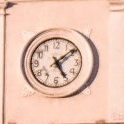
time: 5:08
